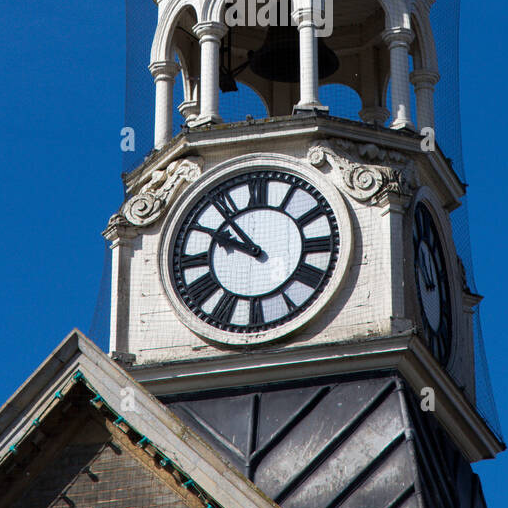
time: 9:53
